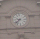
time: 9:38
